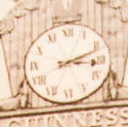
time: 3:11
